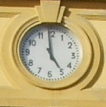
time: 4:58
